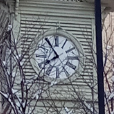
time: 7:54
